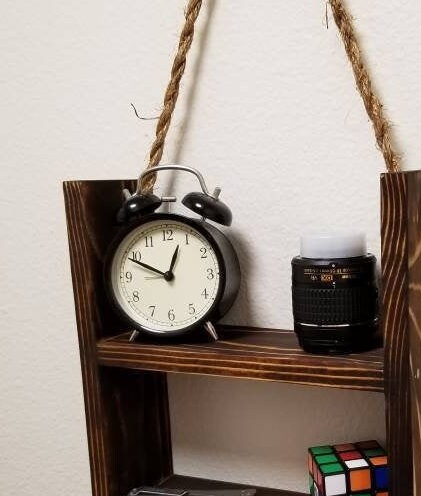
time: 12:49
